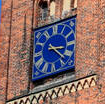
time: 3:22
